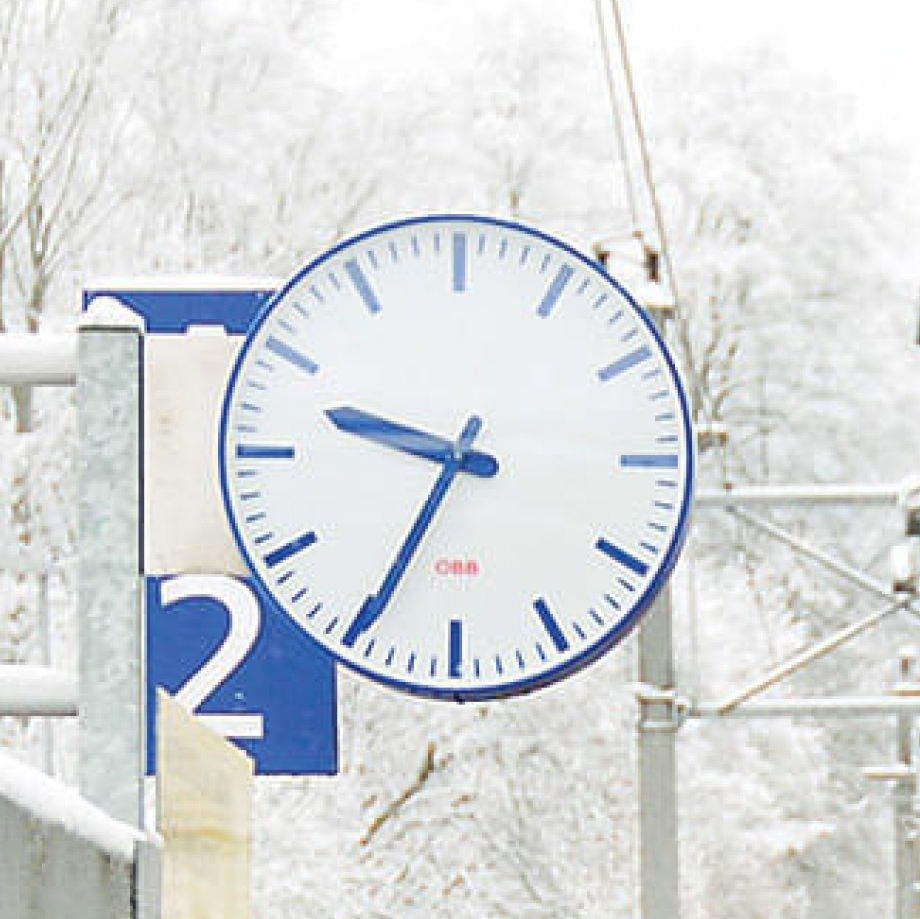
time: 9:34
